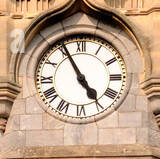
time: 4:55
